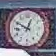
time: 12:49
